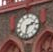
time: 2:32
